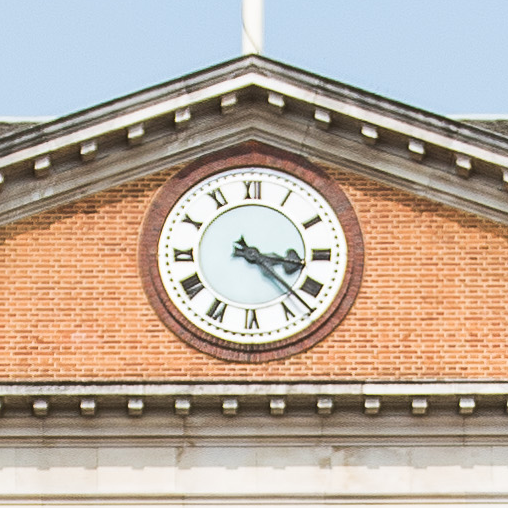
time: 3:22
